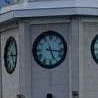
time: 5:16
